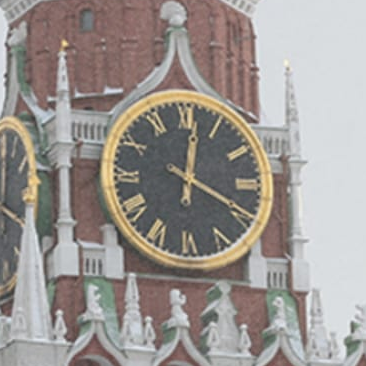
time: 12:19
